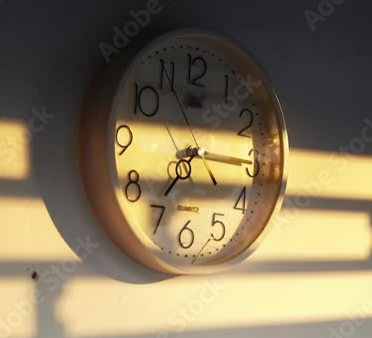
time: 7:15
